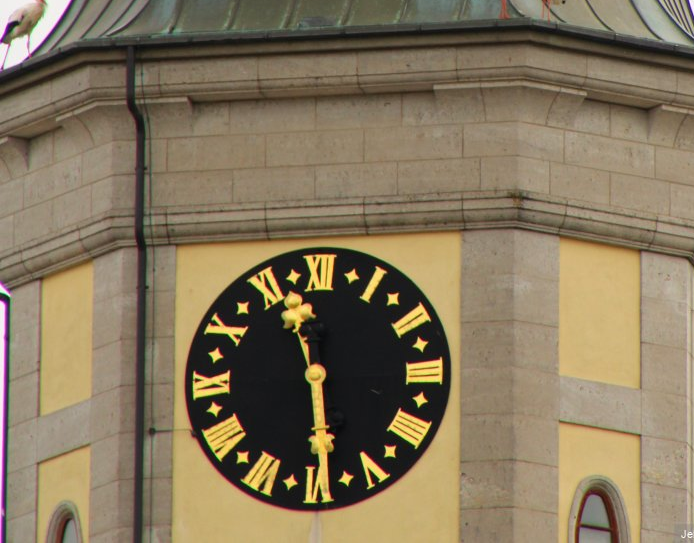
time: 11:28
